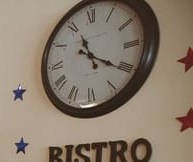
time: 11:20
